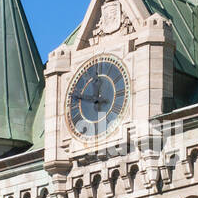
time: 11:47
